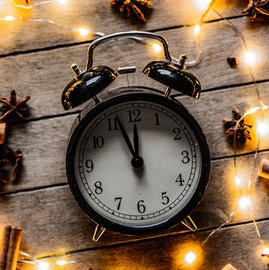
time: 11:56
